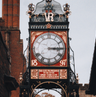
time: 3:14
